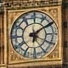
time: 6:10
